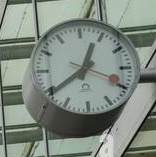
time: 12:39
